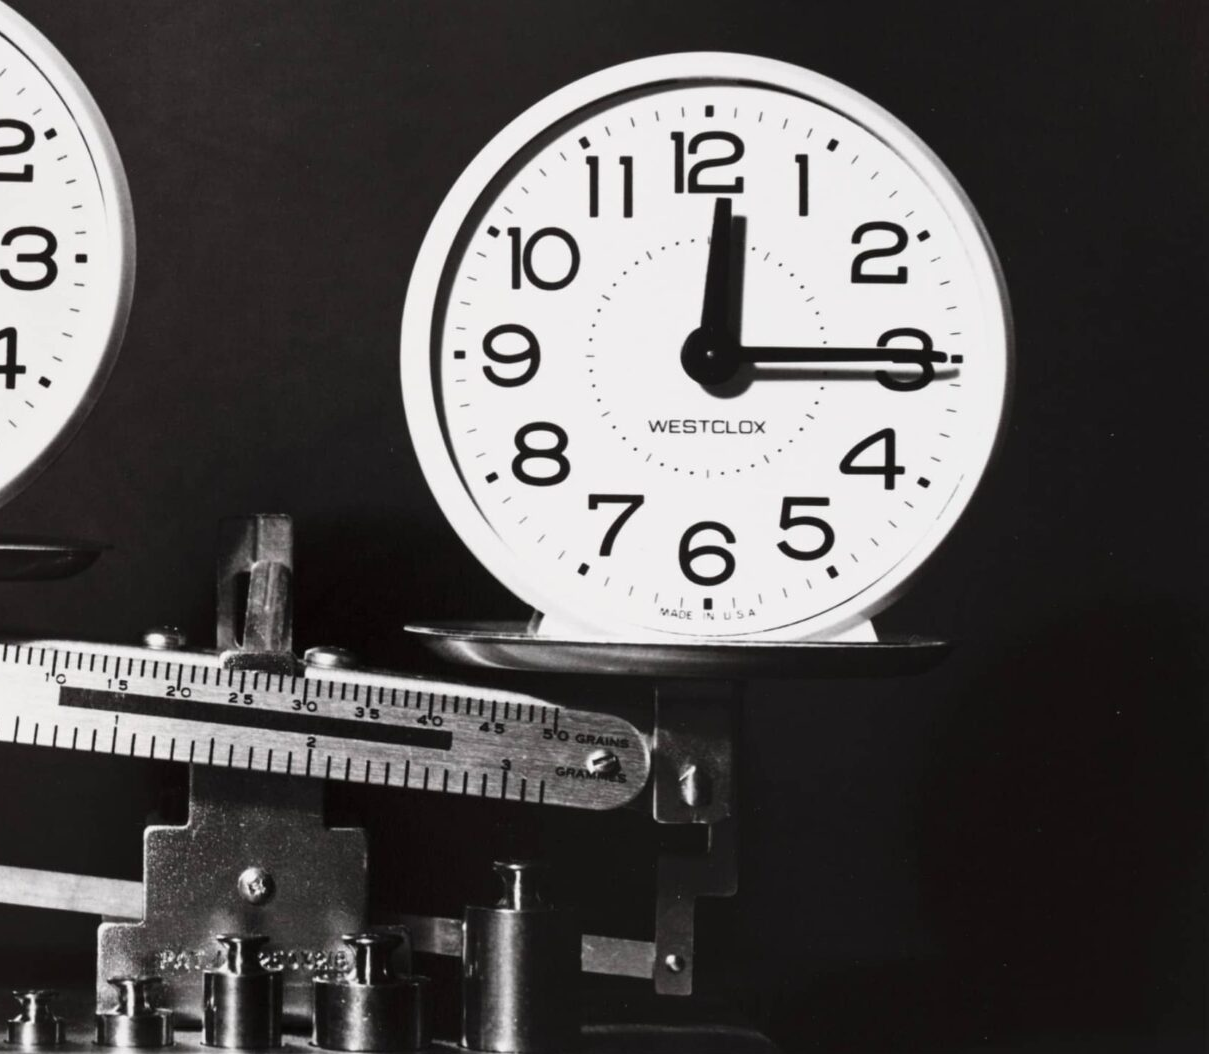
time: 12:14
